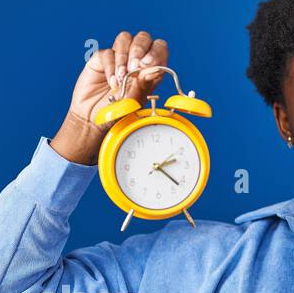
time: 2:21
